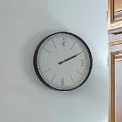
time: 2:10
